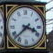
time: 3:37
